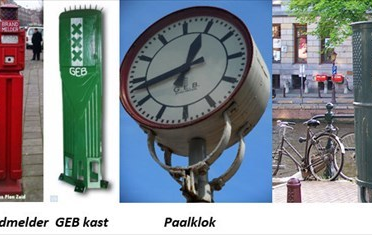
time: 12:43
